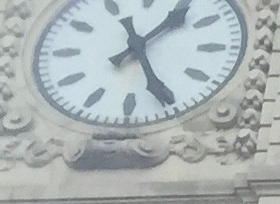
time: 1:25
